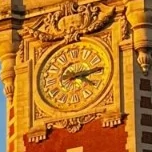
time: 4:13
